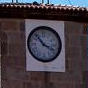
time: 3:52
